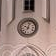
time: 10:02
